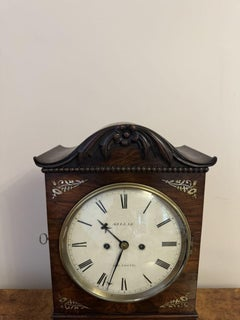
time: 10:33
